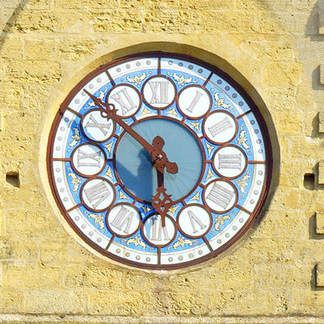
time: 5:52
